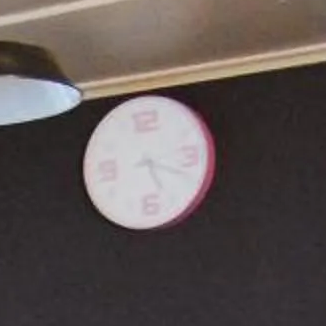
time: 5:18
